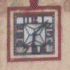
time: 6:07
